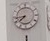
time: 7:43
